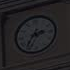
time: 2:35
